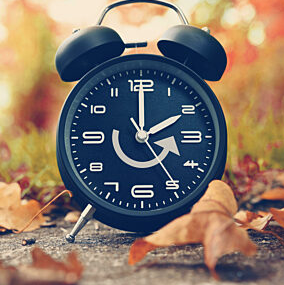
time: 2:00
